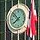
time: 7:51
